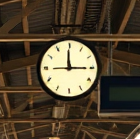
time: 2:59
